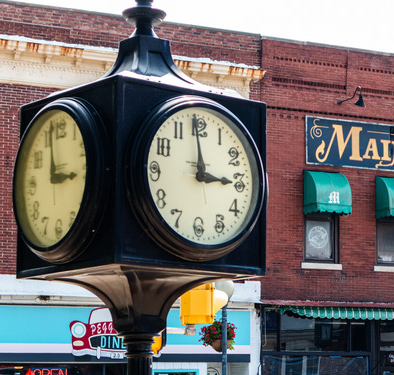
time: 2:58
